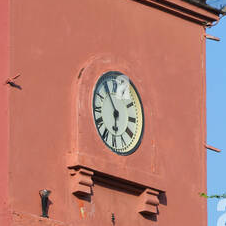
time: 5:54
